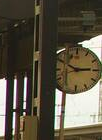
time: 2:49
